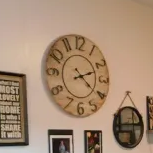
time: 2:21
